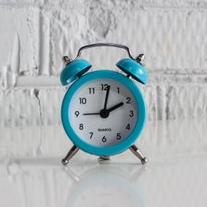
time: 2:01
